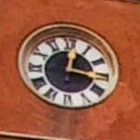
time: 12:16
